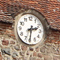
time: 2:30
